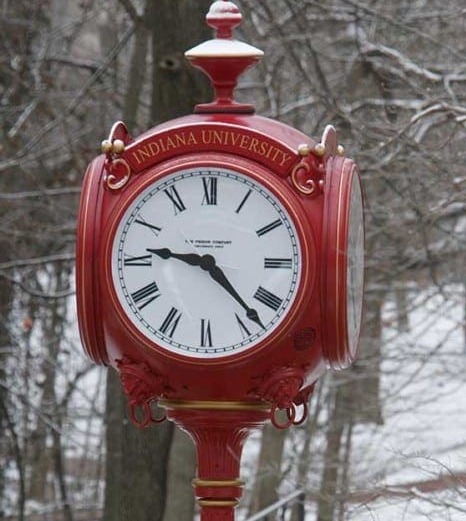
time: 9:22
